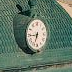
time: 6:44
